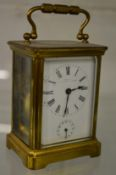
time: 6:13
